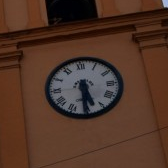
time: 5:30
